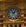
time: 12:55
